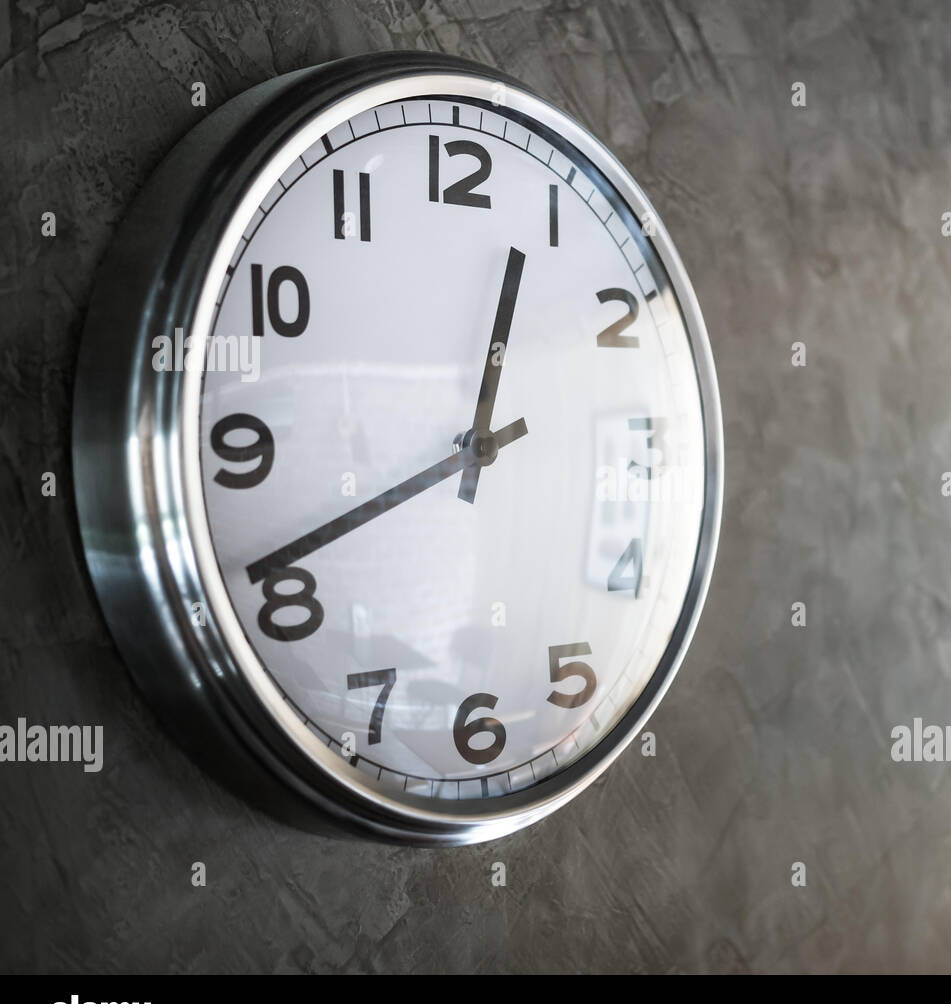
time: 12:41
